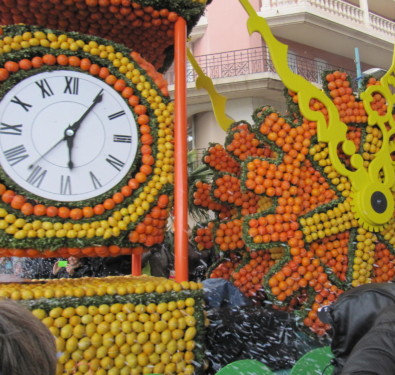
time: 6:05
